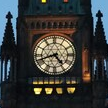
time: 4:41
